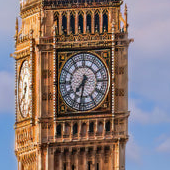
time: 7:32
